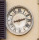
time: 8:12
